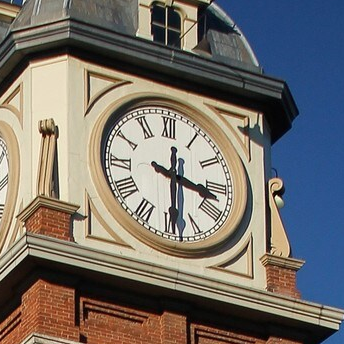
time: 3:29
